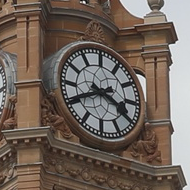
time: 3:40
